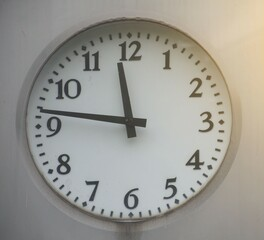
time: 11:46
